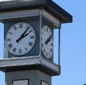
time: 2:07
